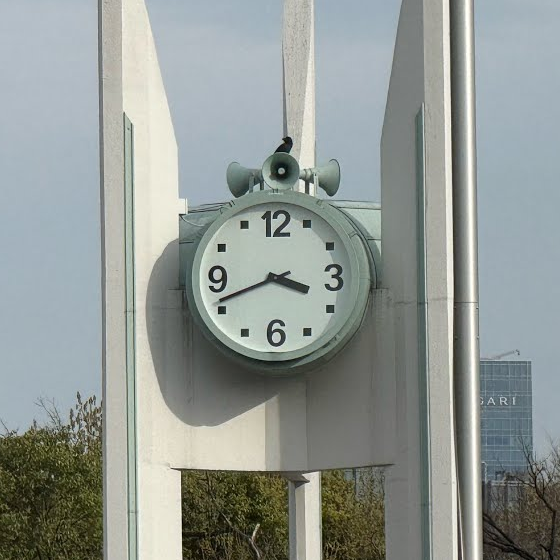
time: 3:41
